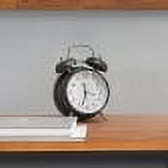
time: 11:32
